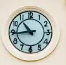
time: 10:43
